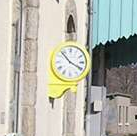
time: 3:52
